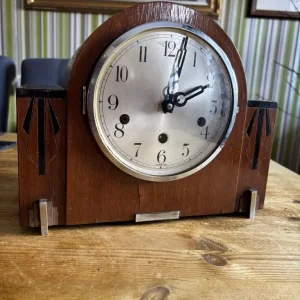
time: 2:01
